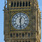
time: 12:28
